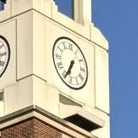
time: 6:34
